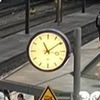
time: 11:09
